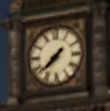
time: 7:37
